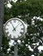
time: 11:07
